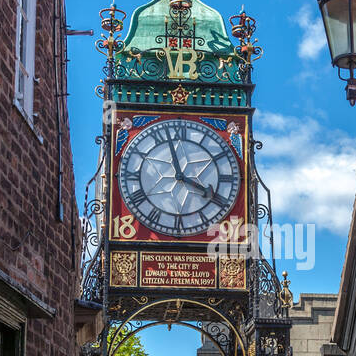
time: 3:57
